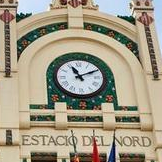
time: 11:10
